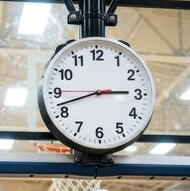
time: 2:42
